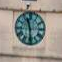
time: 11:29
